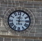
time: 12:14
